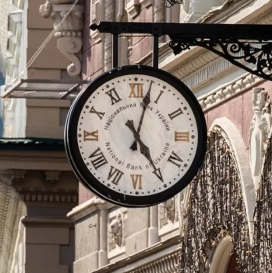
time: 5:02
